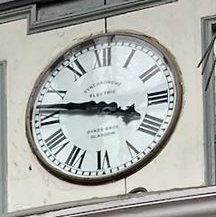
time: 3:46
